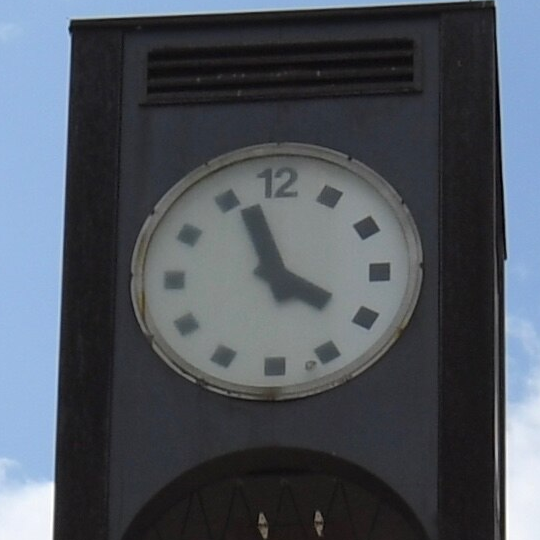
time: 3:56
